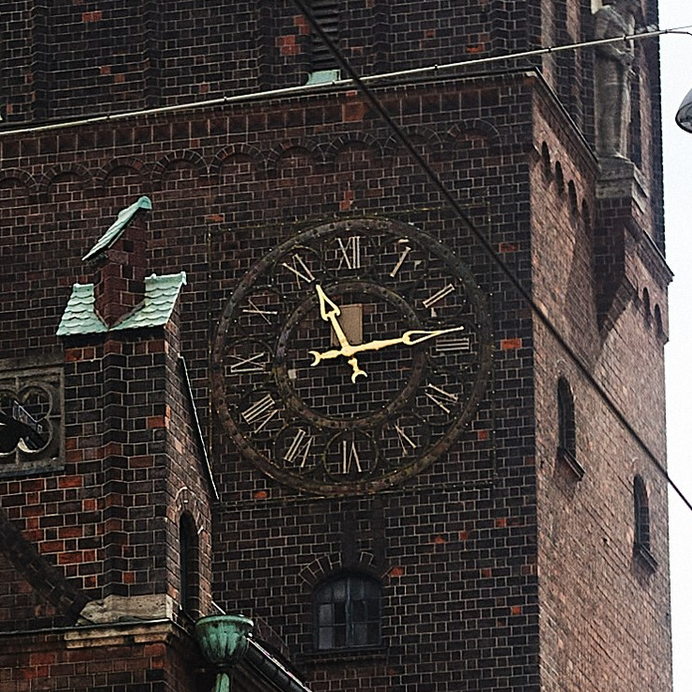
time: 11:13
